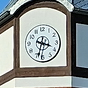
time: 3:33
